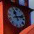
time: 11:12
